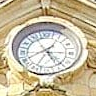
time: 4:40
